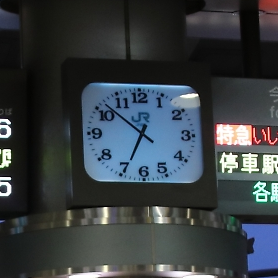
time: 6:51
